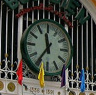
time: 11:35
